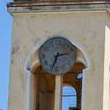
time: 2:33
